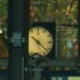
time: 10:21
